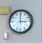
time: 2:59
